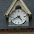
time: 4:41
